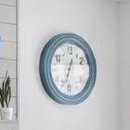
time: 12:33
